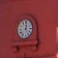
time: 12:24
